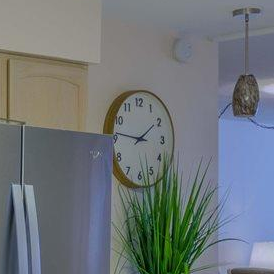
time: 1:46
